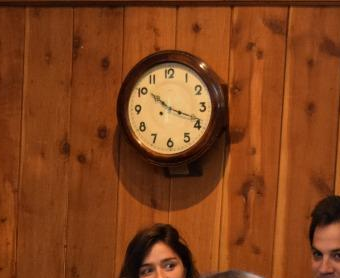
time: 10:18
